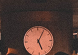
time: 5:05
